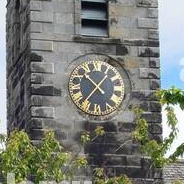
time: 10:36
